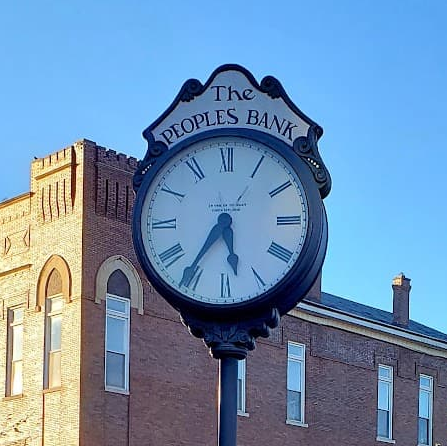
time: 5:35
